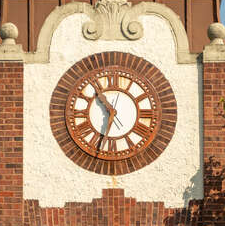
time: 10:32
